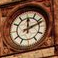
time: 12:11
